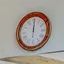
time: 12:00
